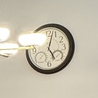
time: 5:02
